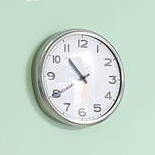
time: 10:39
